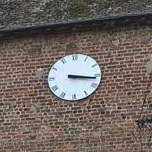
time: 3:16
